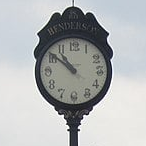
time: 10:51
